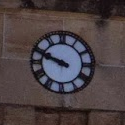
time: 9:48
